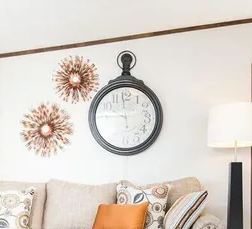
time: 5:45
